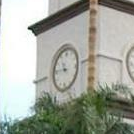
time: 10:45
